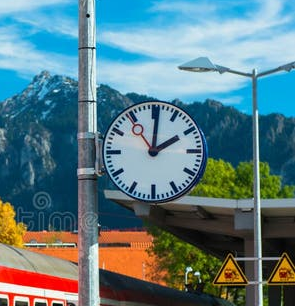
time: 2:00
